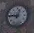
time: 12:46
